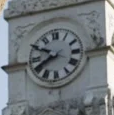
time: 7:49
